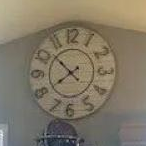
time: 7:52
